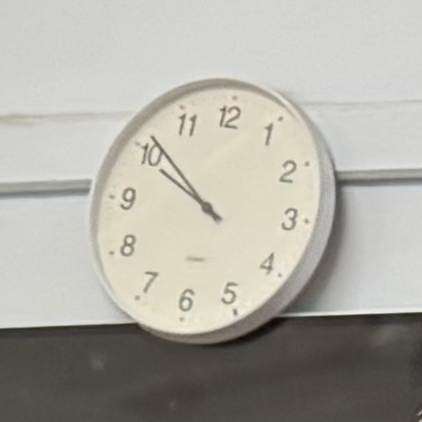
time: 9:51
